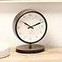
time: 10:11
